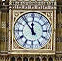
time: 11:53
